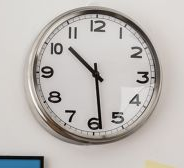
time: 10:28
